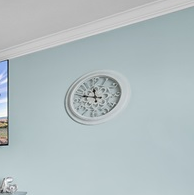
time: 11:47
